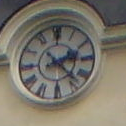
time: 2:22
